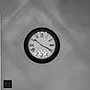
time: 3:51
